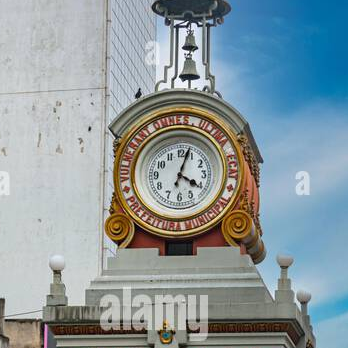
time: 4:03
